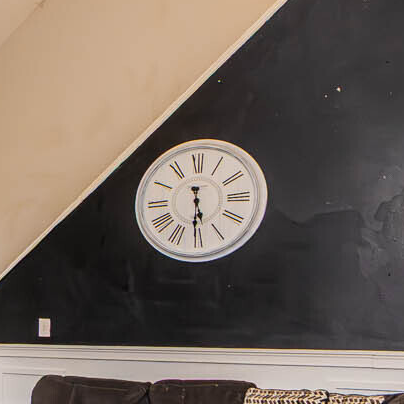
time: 5:30
